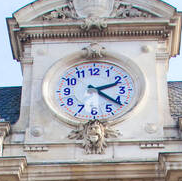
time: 2:21
